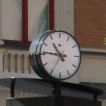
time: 10:45
